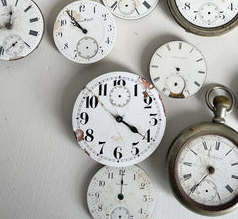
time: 4:20
